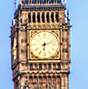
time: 6:12
